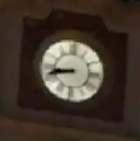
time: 8:42
